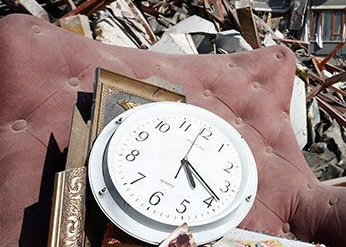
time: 5:23
